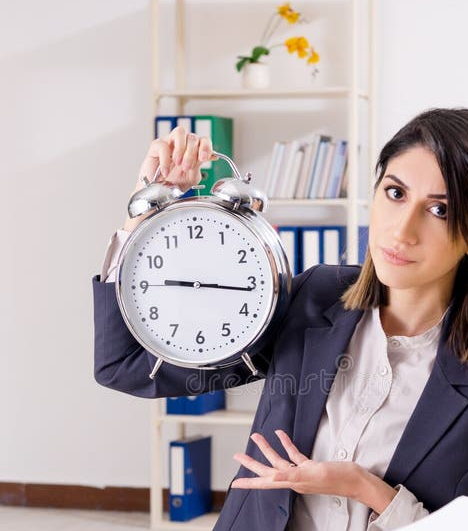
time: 9:16
